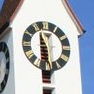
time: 11:28
